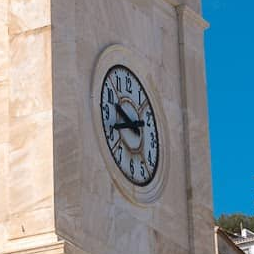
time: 9:41
